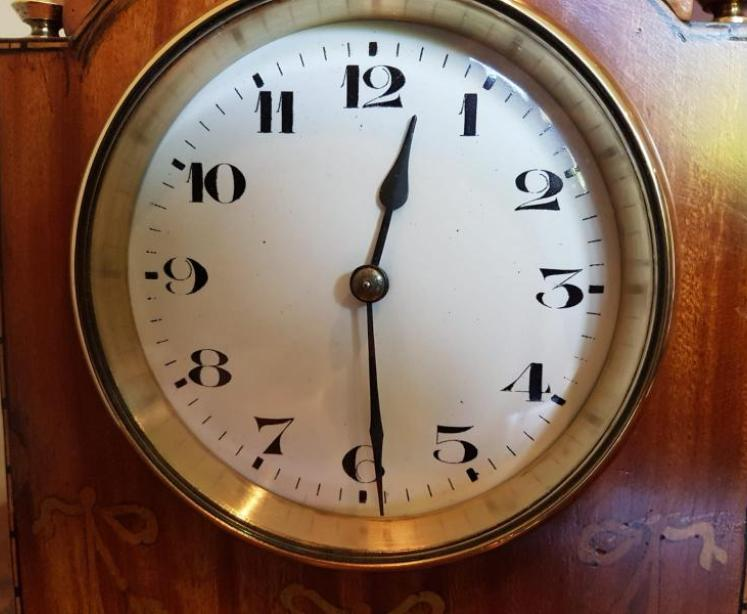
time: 12:29
